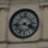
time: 3:43
